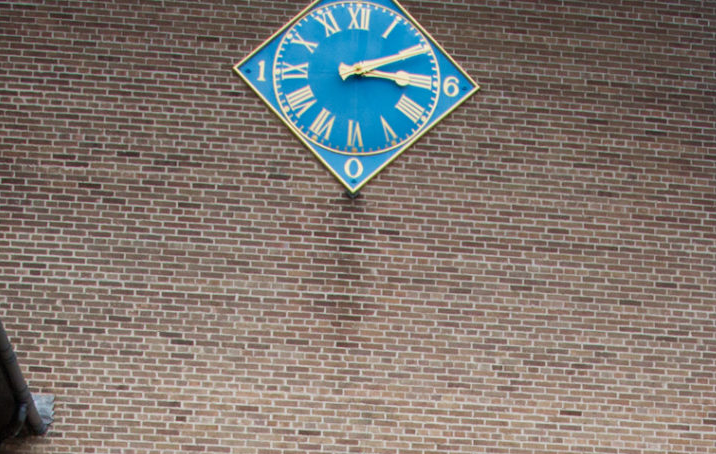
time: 3:09
